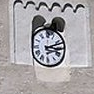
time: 3:11
